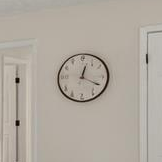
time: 12:19
